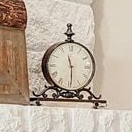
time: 11:29
